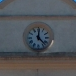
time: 12:22
